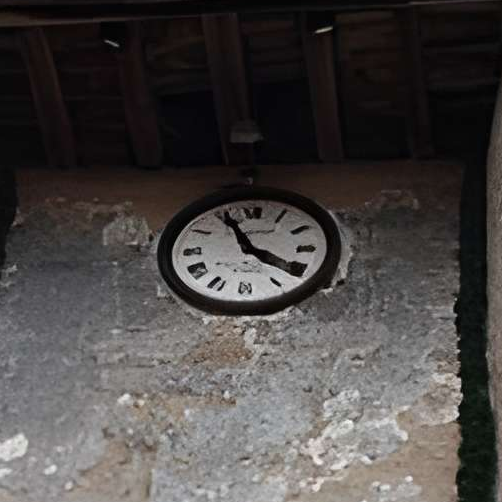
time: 3:55
